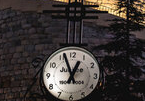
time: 12:56
